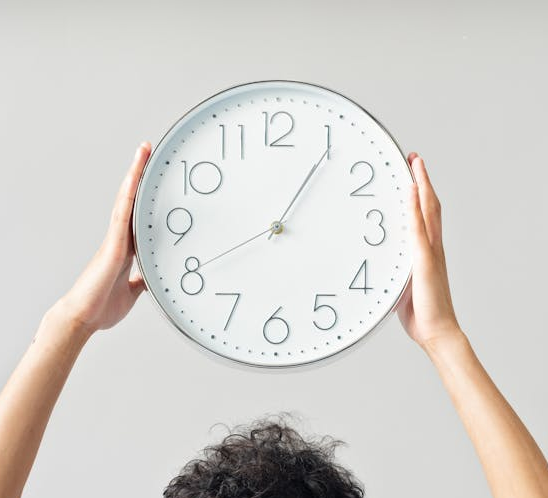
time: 1:05
